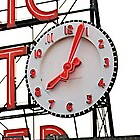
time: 8:03
